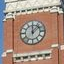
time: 12:07
